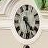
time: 4:28
